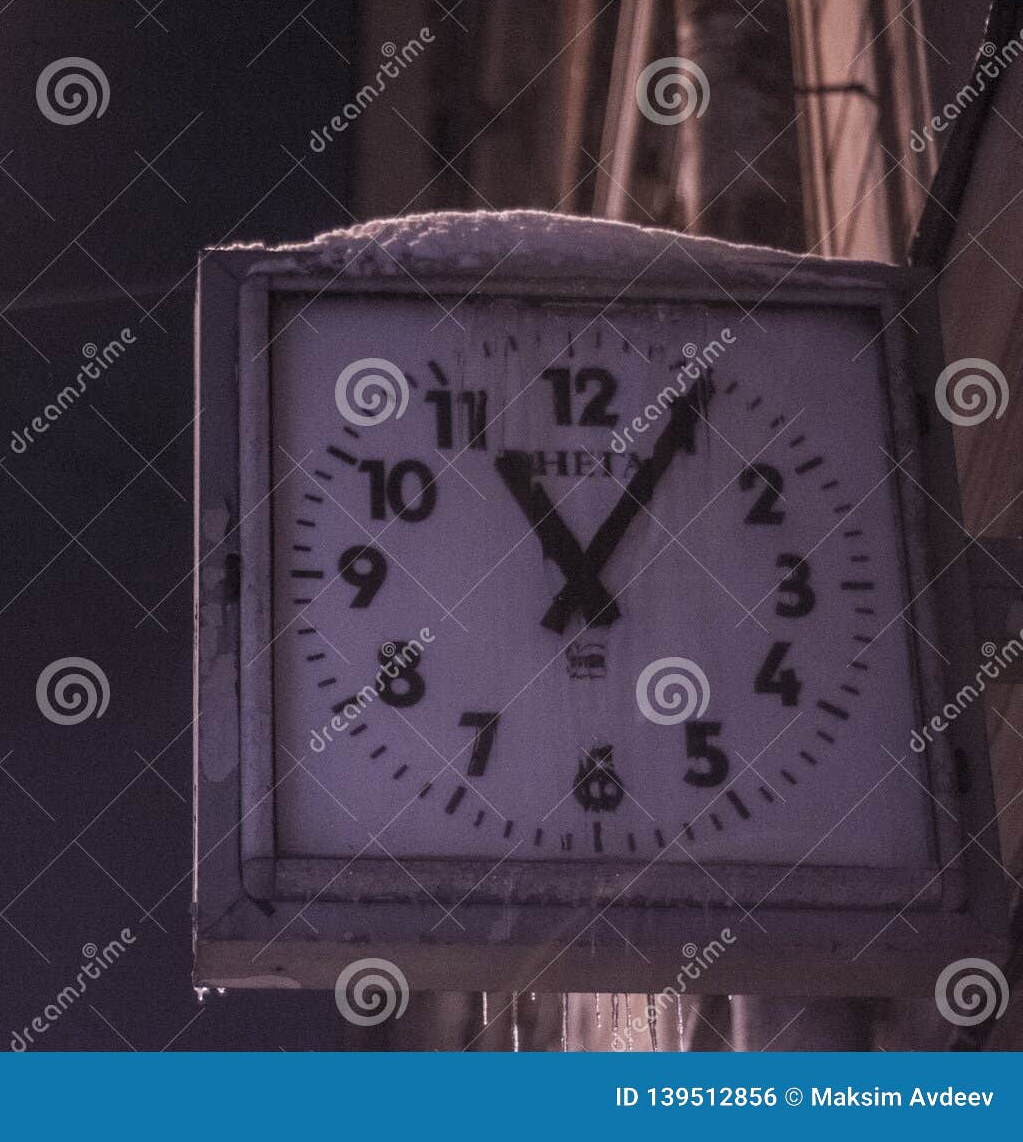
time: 11:05
